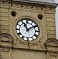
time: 11:09
